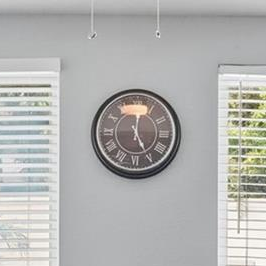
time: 5:01
